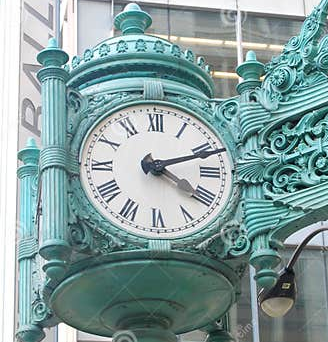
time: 4:11
